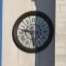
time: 9:28
